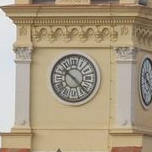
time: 10:22
